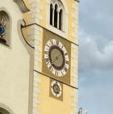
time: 1:37
